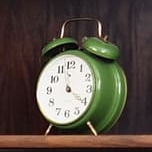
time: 3:58
